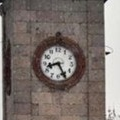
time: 8:25
